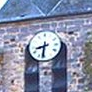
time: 8:31
